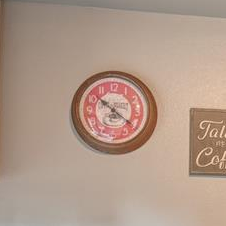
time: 10:21
